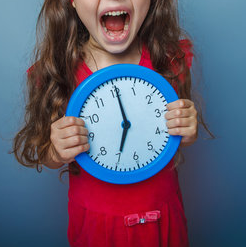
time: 7:00
